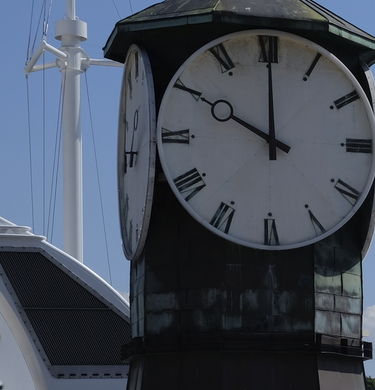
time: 10:00
